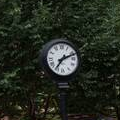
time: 7:11
